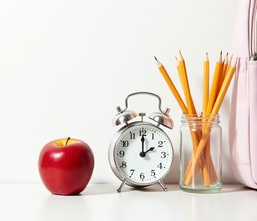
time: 2:00
